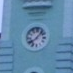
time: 8:07
